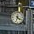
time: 4:33
